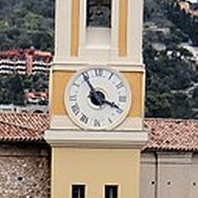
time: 3:54
